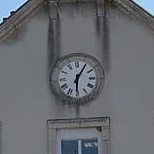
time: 6:05
